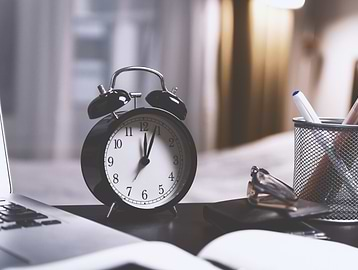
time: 12:03
